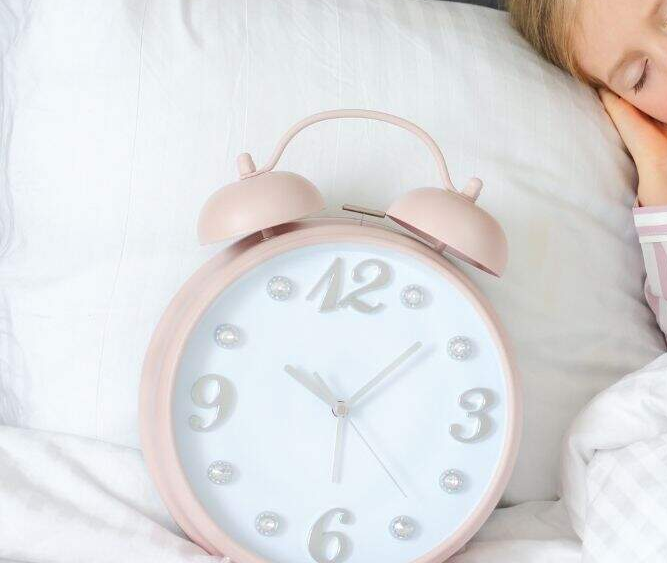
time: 10:08
